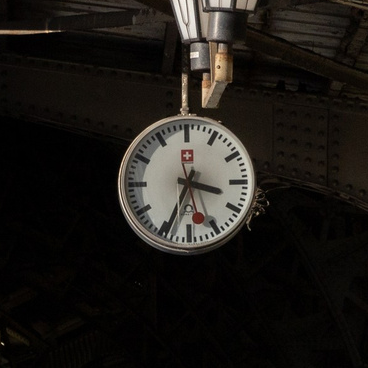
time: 3:34
